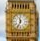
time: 11:34
